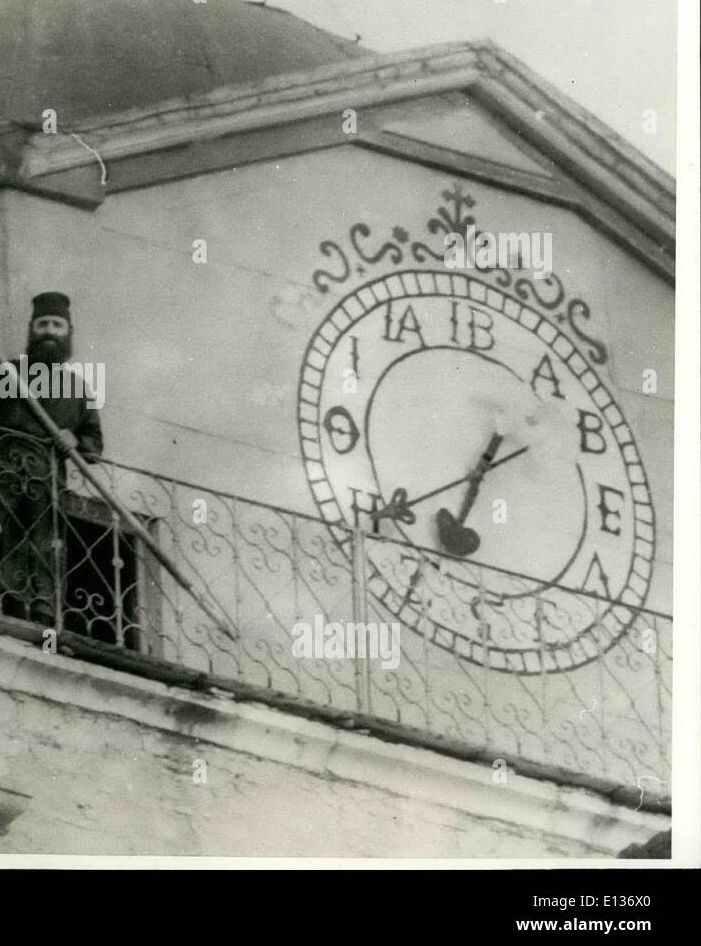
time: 6:39
